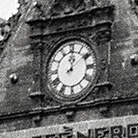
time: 12:09
